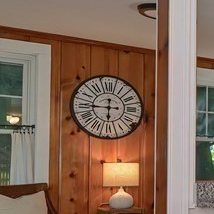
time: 5:45
